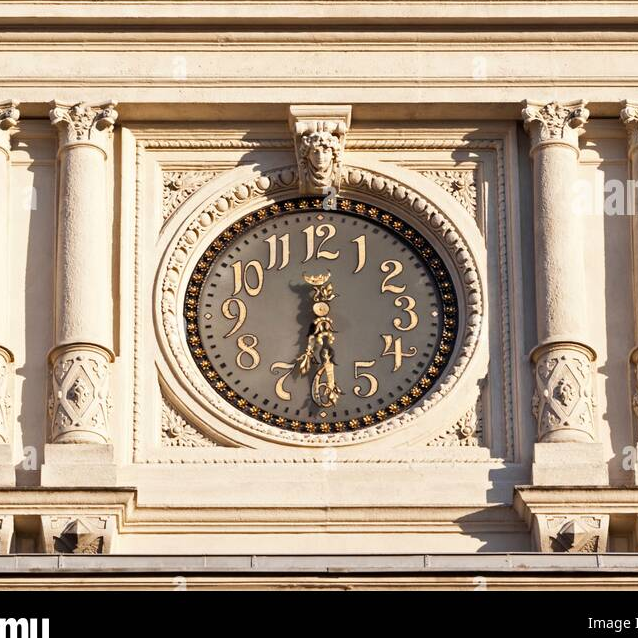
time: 5:30
